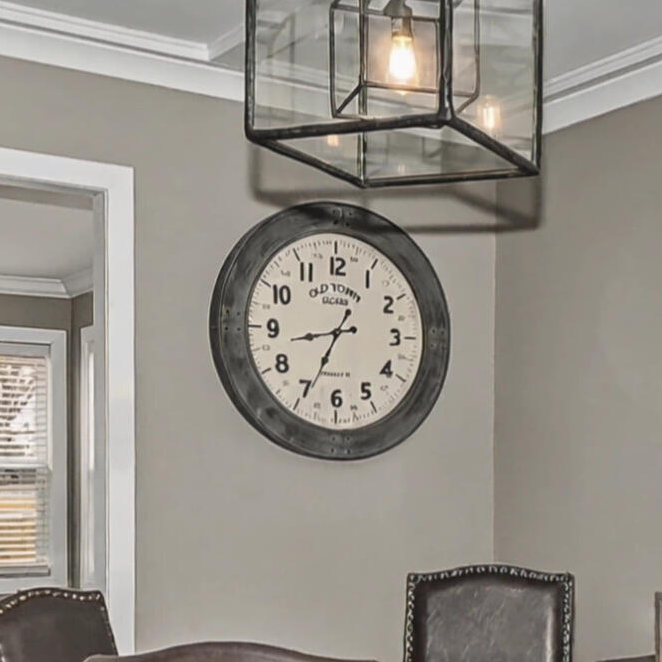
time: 8:34
